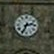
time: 2:34
